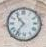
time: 10:36
